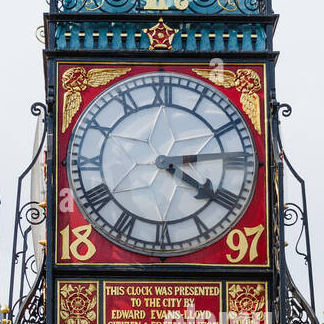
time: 4:13
